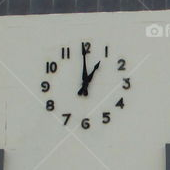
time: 12:59
